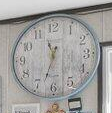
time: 11:33
